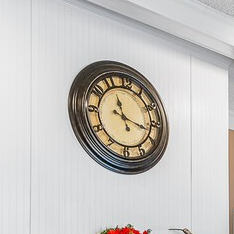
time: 11:17
